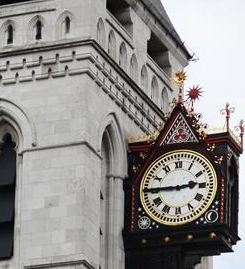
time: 2:45
